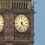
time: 4:33
